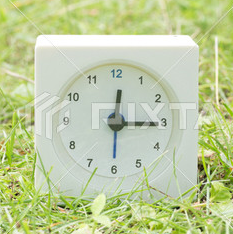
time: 12:15
